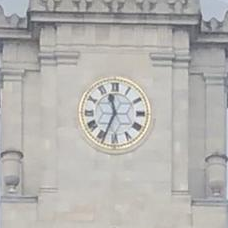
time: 11:33
